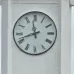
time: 11:41
